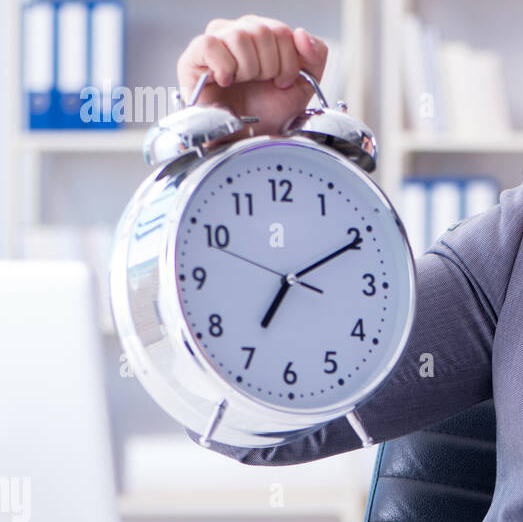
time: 7:10
